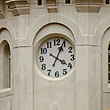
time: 4:04
